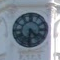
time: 4:31
